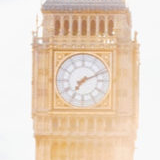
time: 7:11
